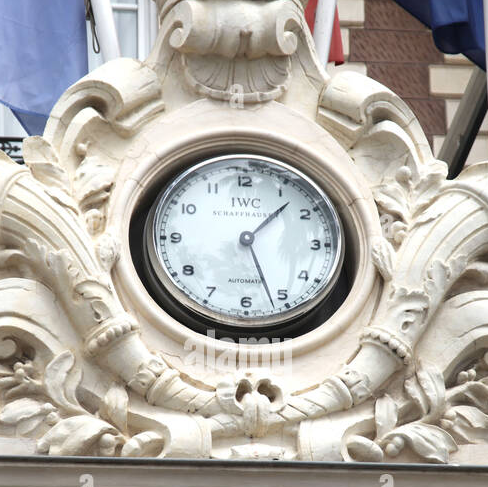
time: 1:26
